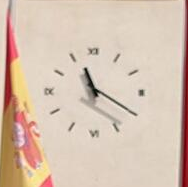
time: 11:20
